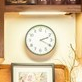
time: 2:19
